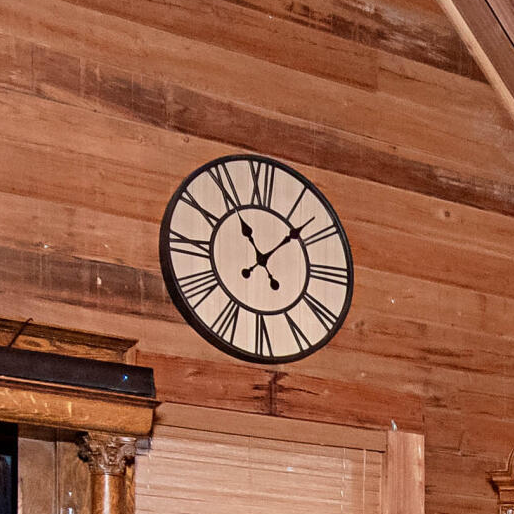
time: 11:07
